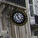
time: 11:23
